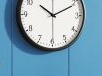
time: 10:10
